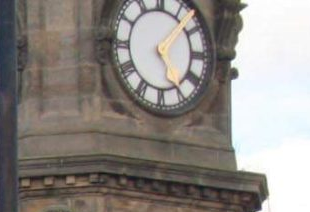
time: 5:08
